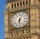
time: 6:05
